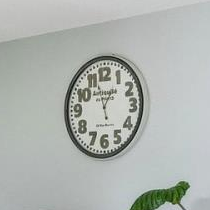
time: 12:57
